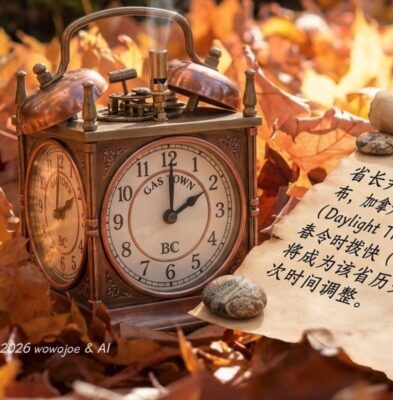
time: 2:00
